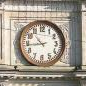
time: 10:43
